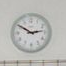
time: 2:50
